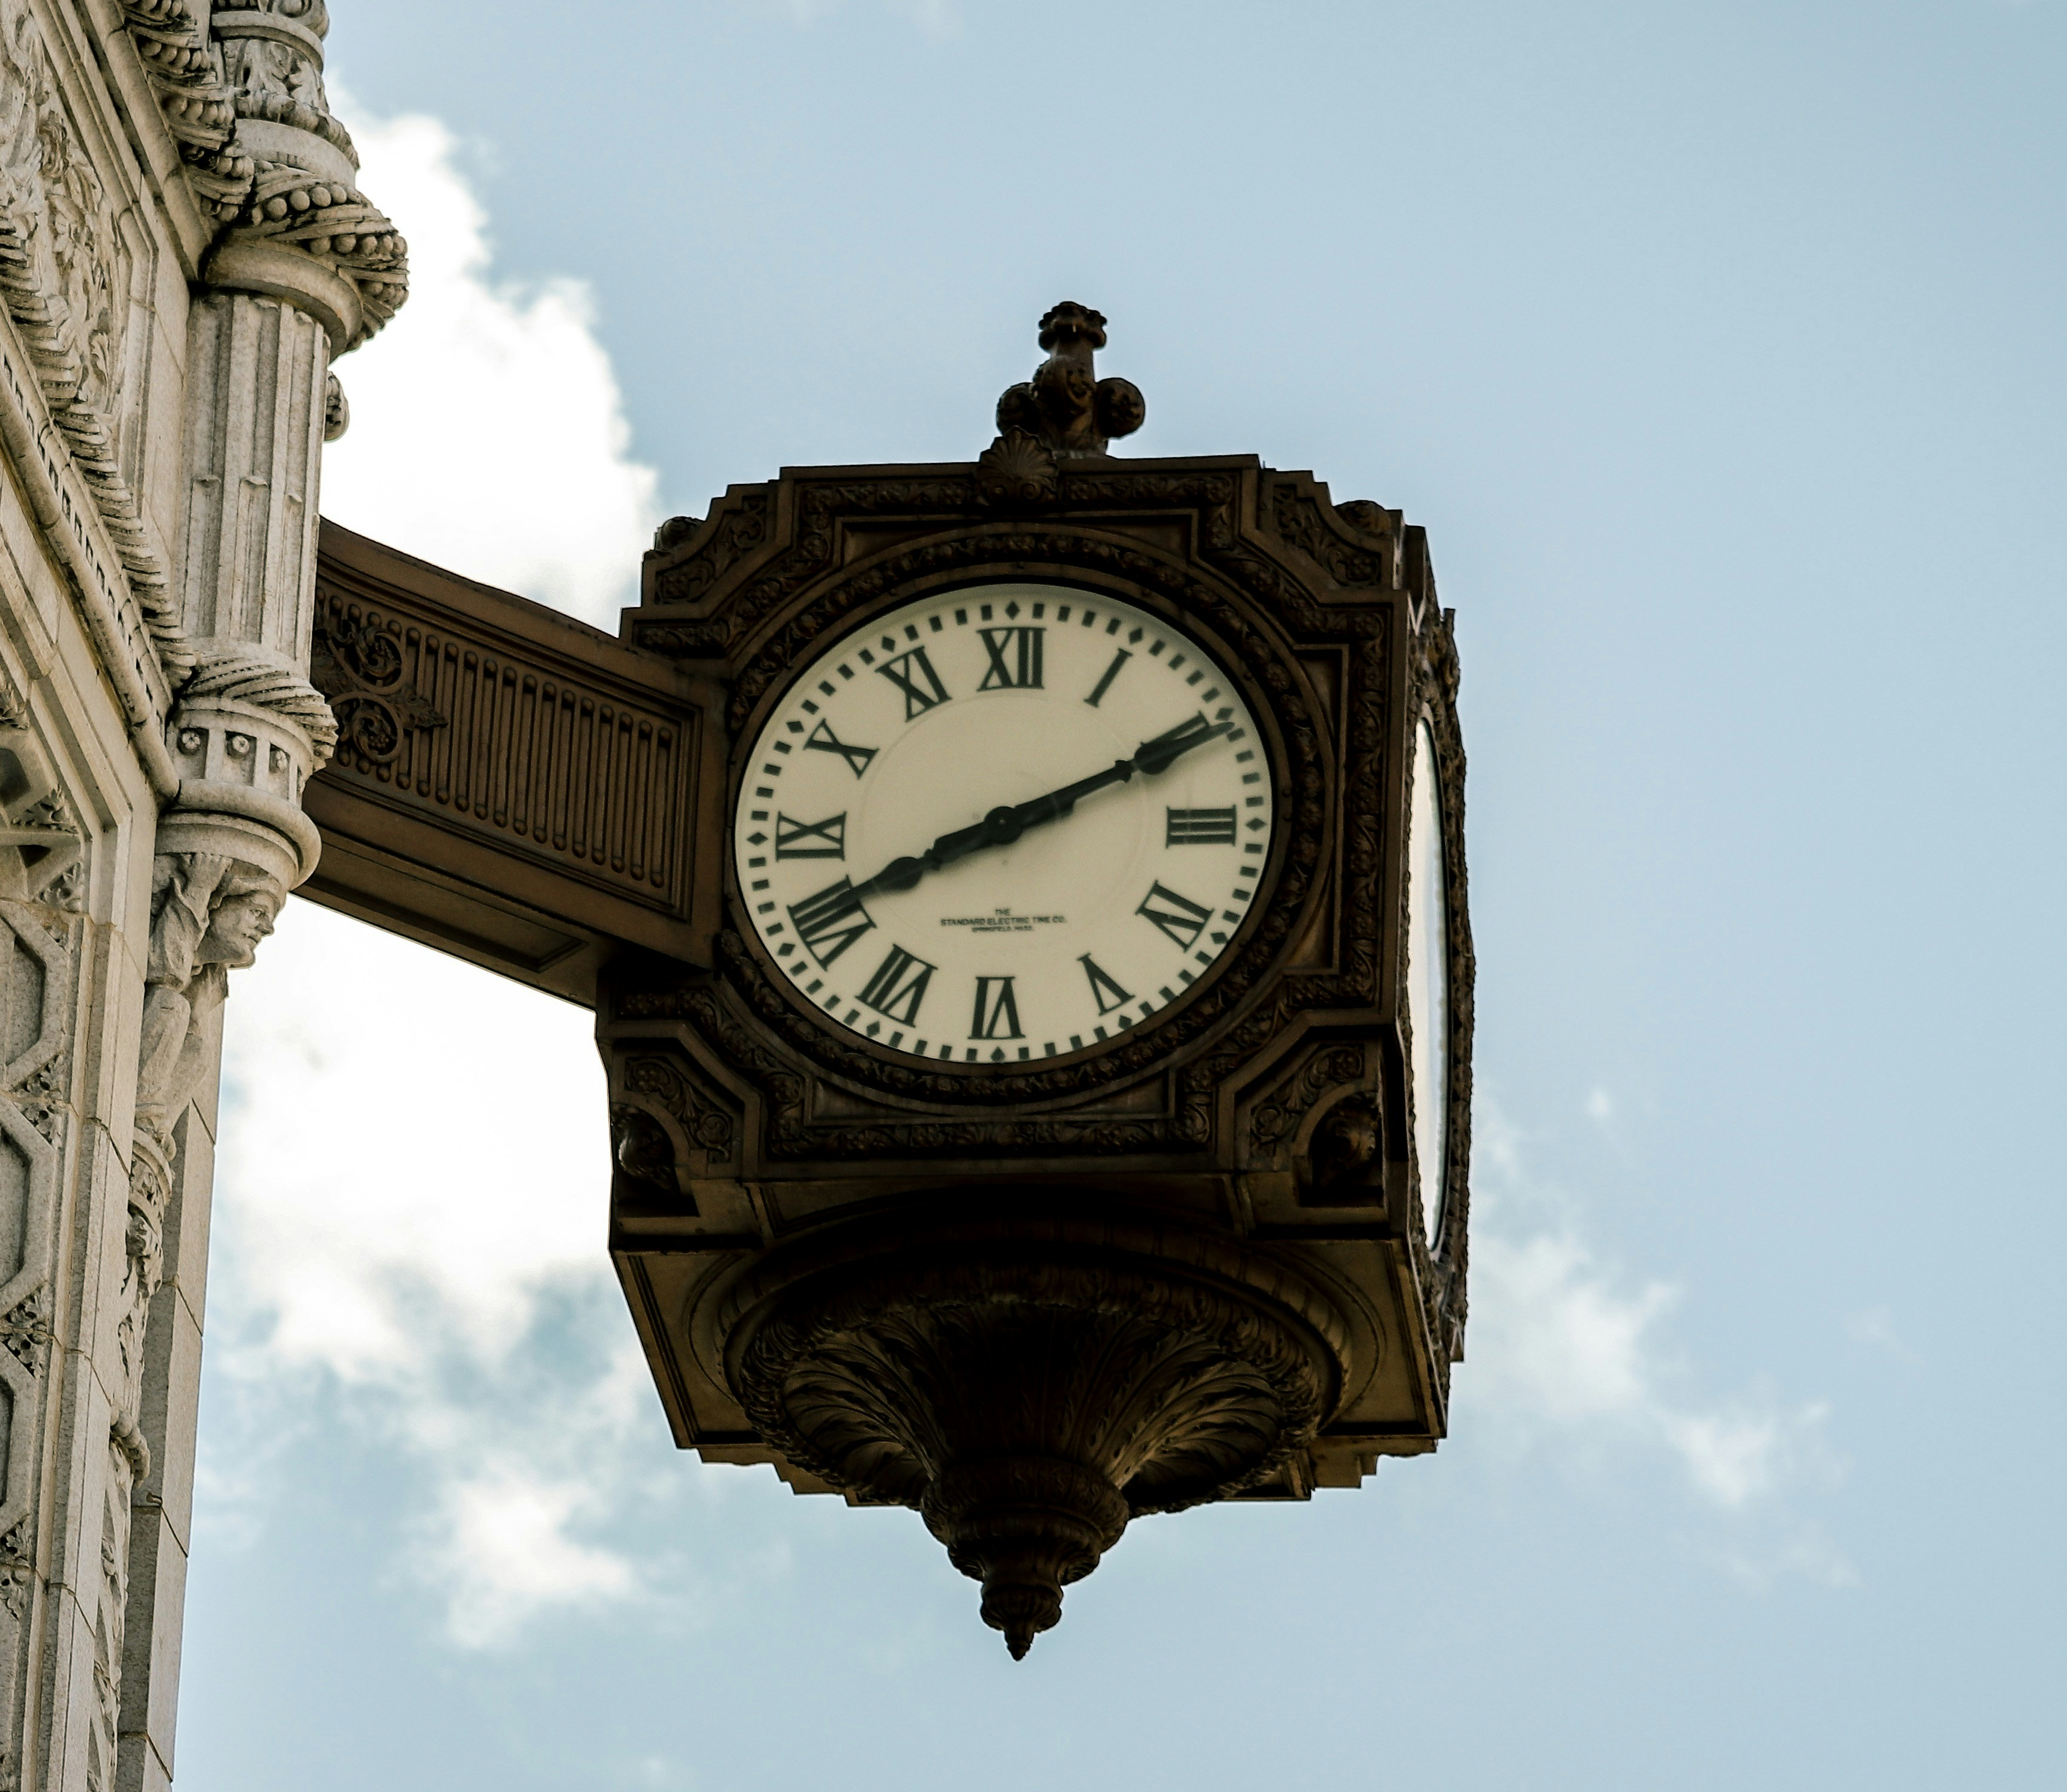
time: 8:10
